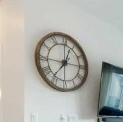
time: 12:36
